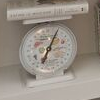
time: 7:04
